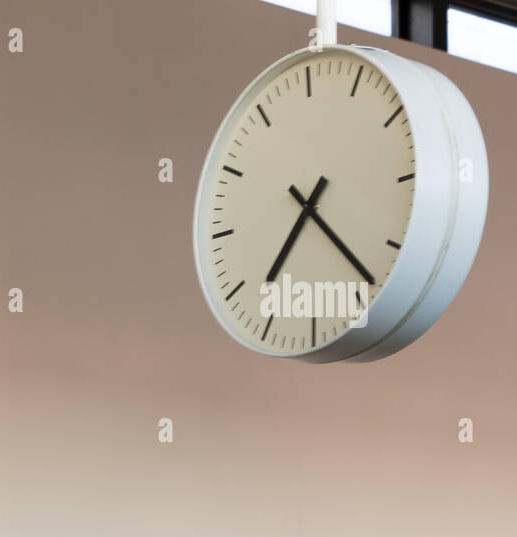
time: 7:23
